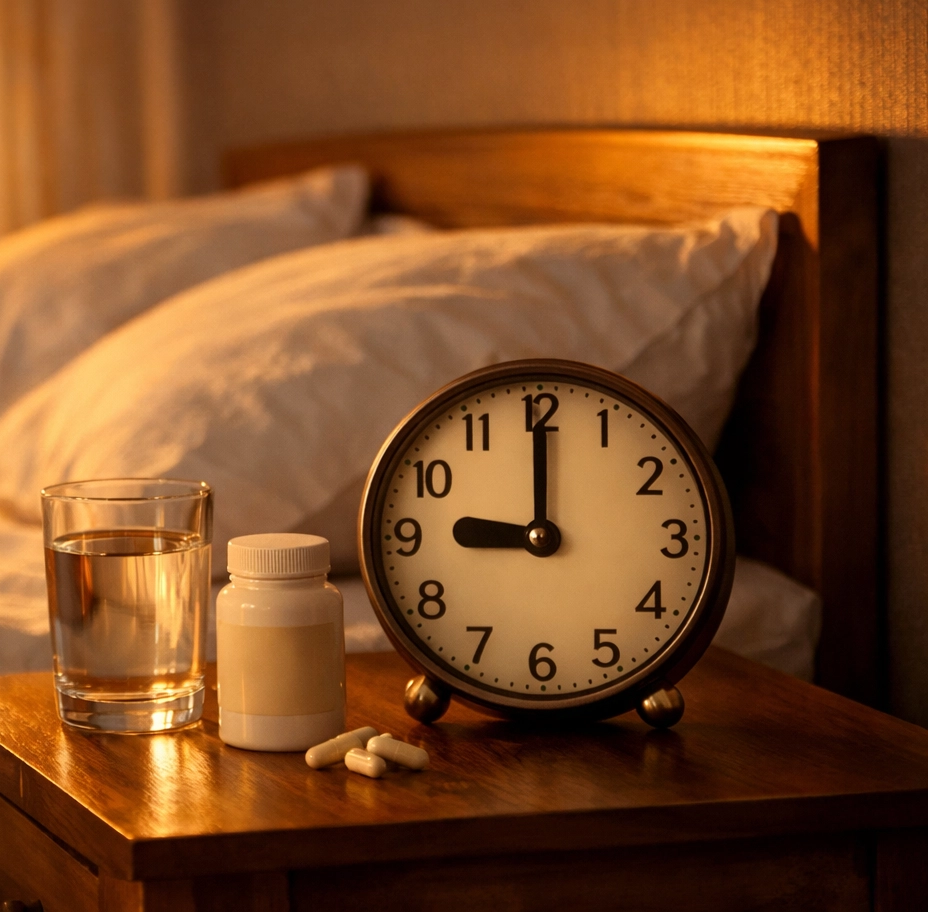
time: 9:00
